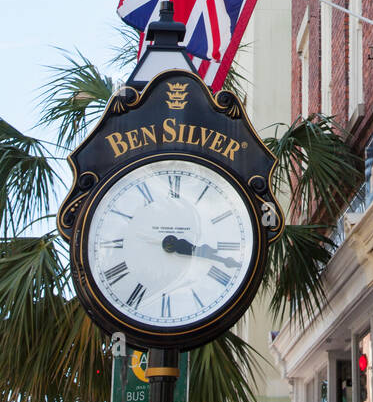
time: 3:17
